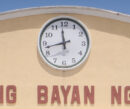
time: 11:42
